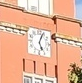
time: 5:04
